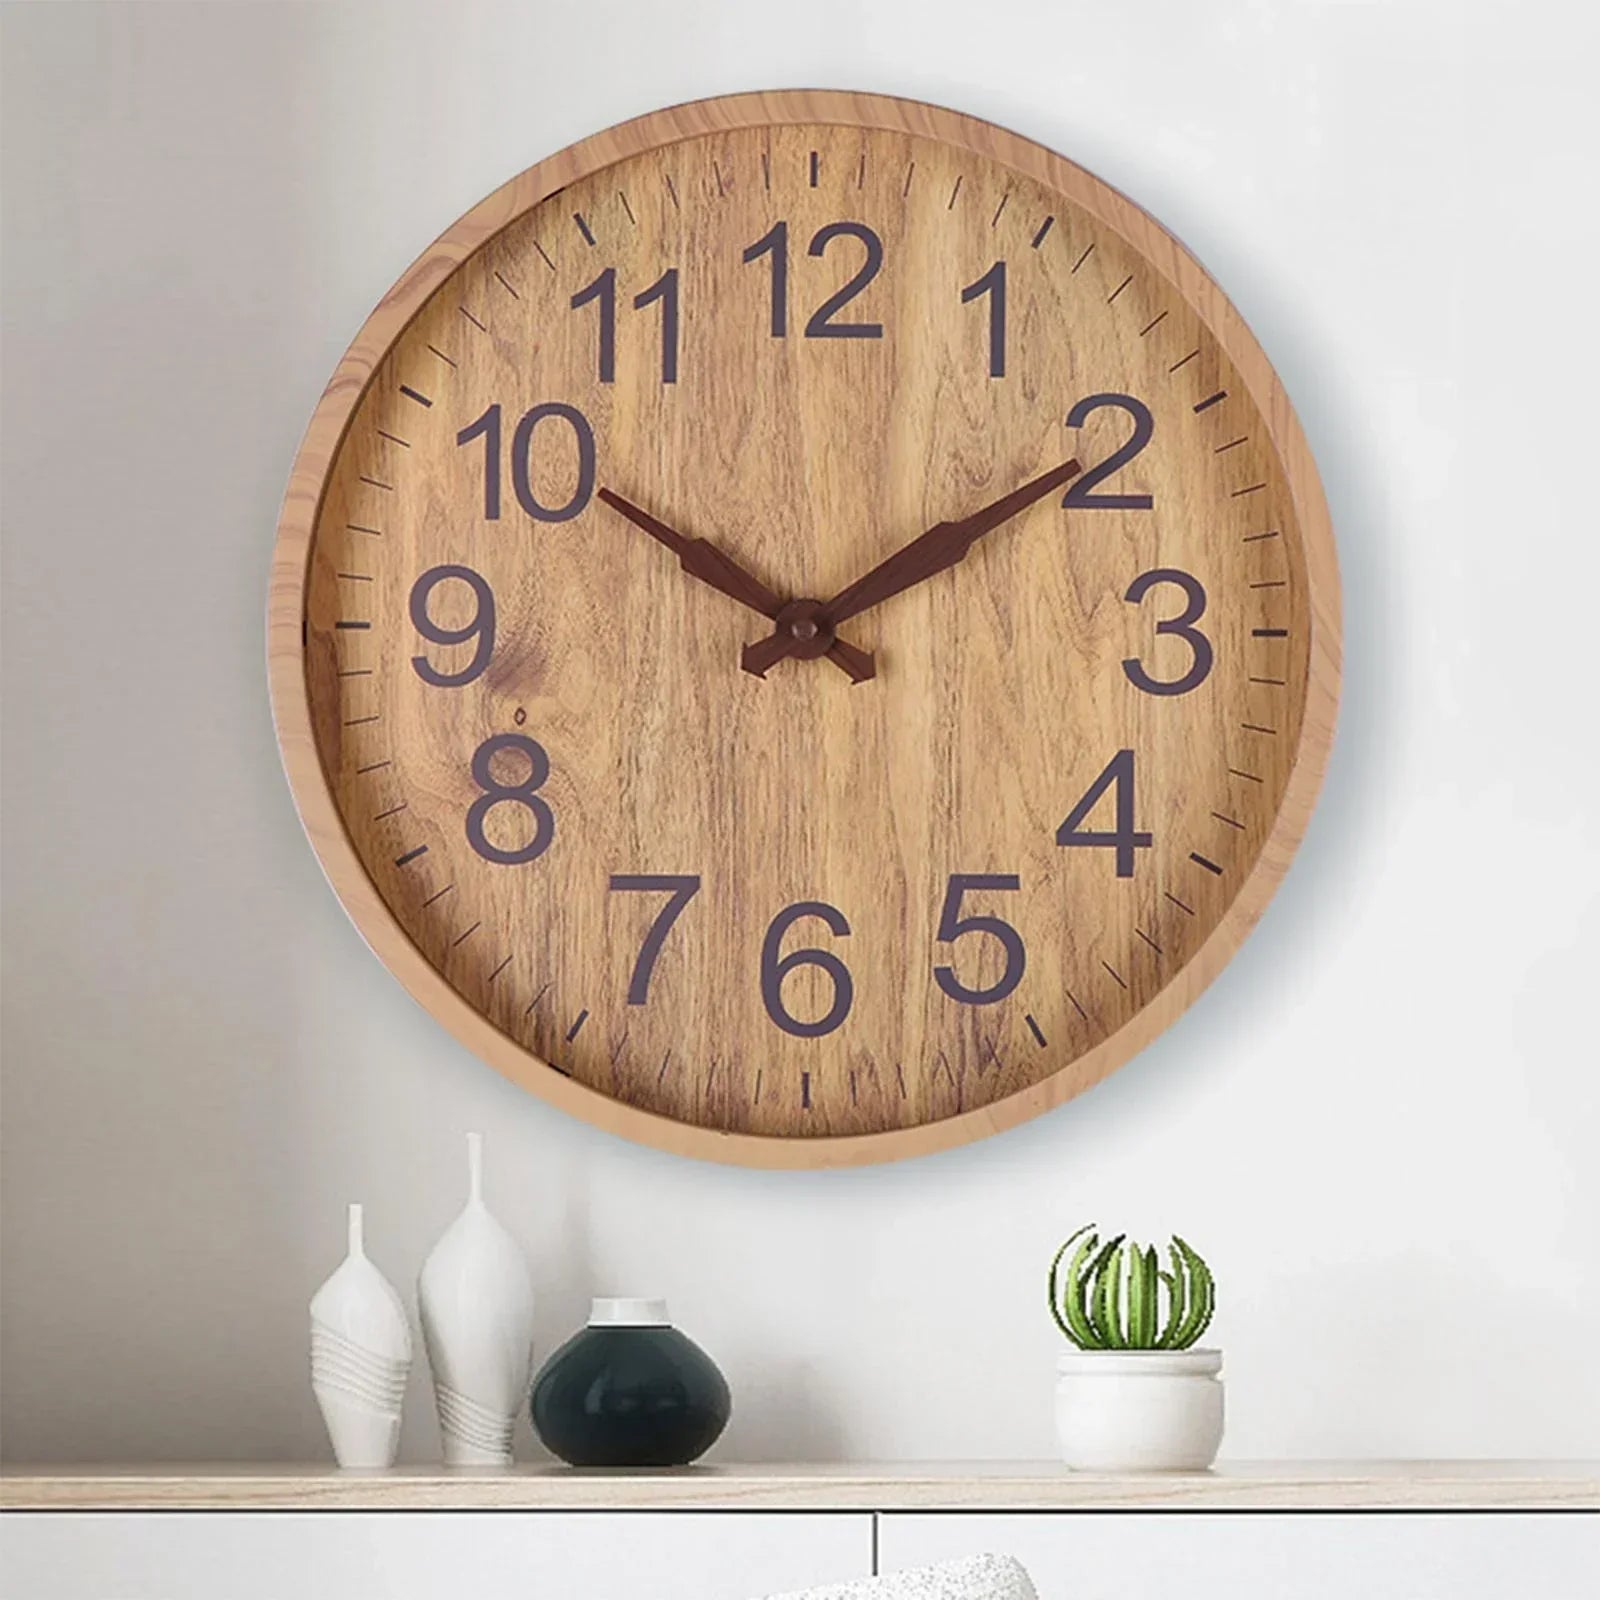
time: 10:09
